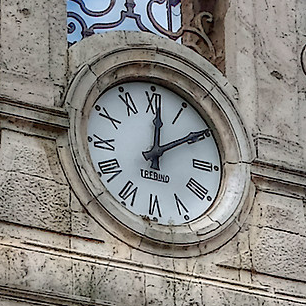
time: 12:09
